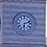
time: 6:11
